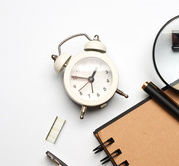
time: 12:45
